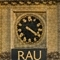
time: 4:20
